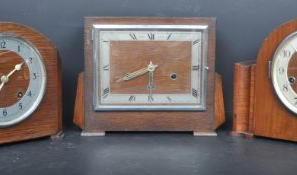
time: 5:40
